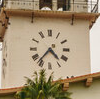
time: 4:36
